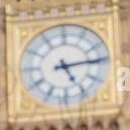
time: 5:13
